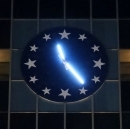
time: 11:23
